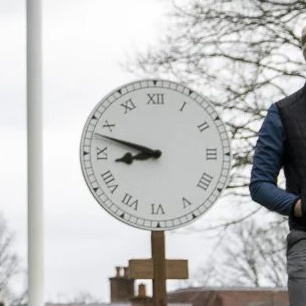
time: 8:48
